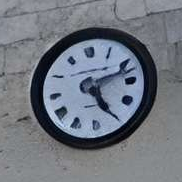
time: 5:12
